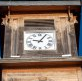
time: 9:05
